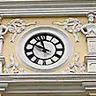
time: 9:57
